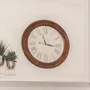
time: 11:16
